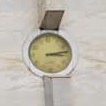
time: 3:13
